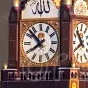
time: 7:52
